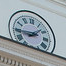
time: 1:43
